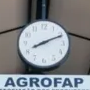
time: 8:11
